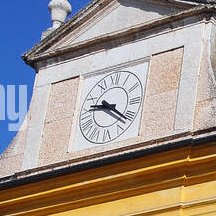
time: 9:21
